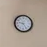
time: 9:24
